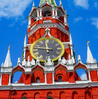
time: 11:46
